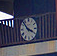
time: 3:52
